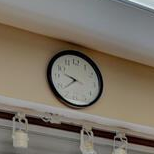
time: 9:38
